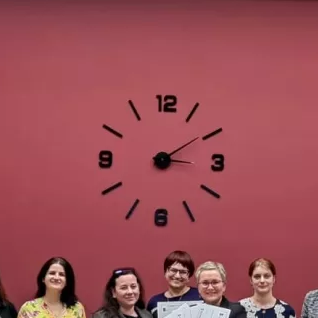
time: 3:09
